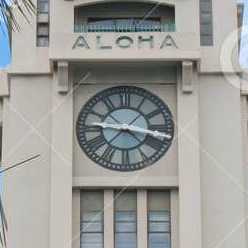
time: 9:17
